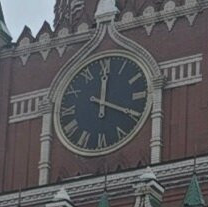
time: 12:19
